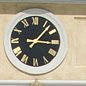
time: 3:07
